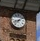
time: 1:42
